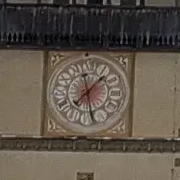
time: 1:28
